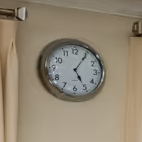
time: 5:05
